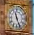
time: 11:26
